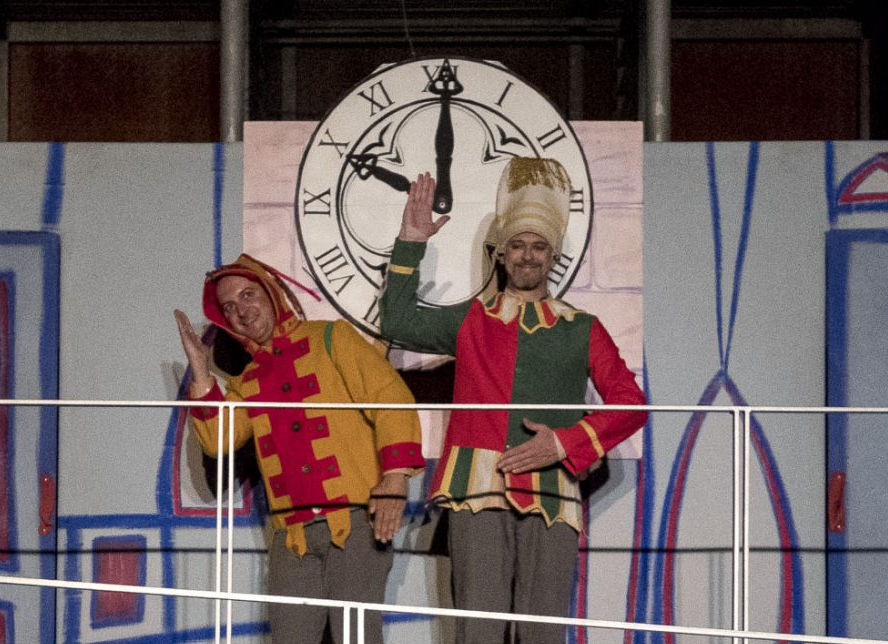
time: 10:00
